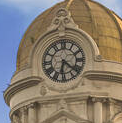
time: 6:21
